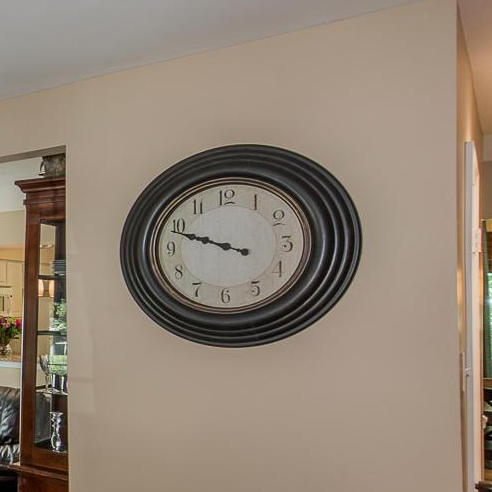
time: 9:48
